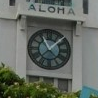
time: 11:07
